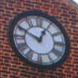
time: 12:49
